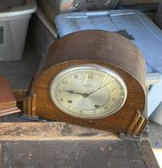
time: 9:08
